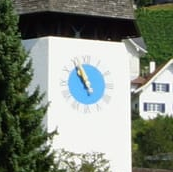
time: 10:56
